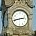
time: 2:42
